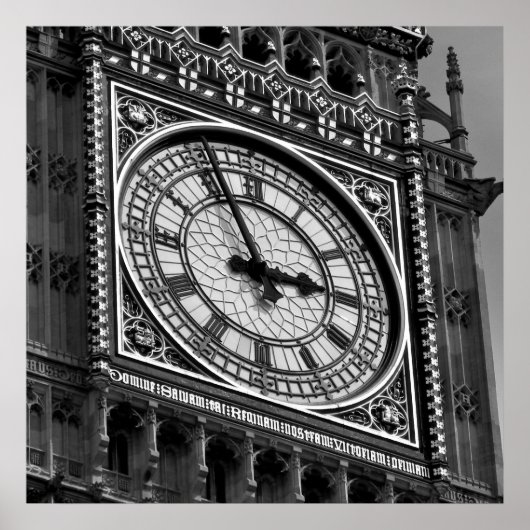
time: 2:56
